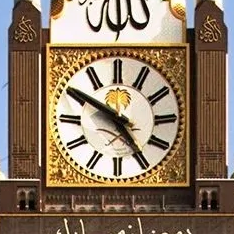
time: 4:50
